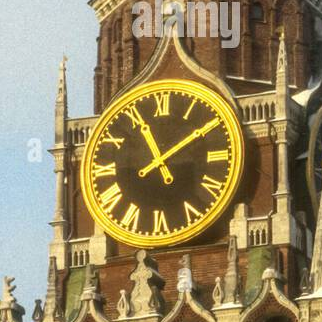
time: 11:09
